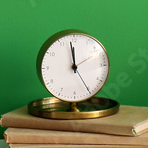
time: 11:58
